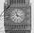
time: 11:17
